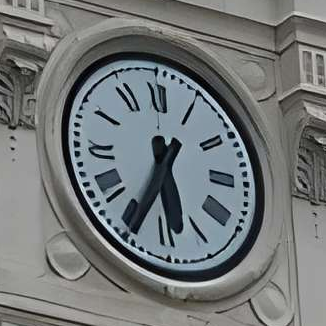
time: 5:34
